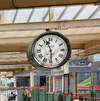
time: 11:29
